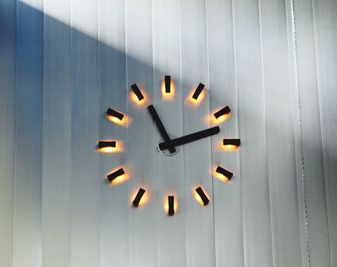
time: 11:12
